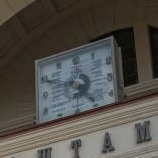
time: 4:49
